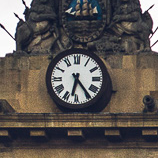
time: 6:23
